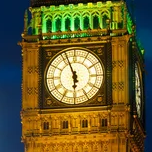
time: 5:56
